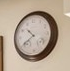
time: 10:39
